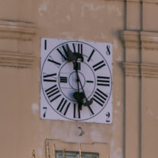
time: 11:29
